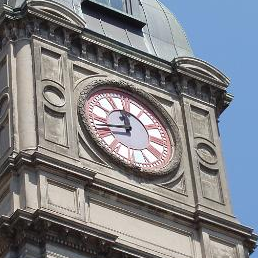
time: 11:42
